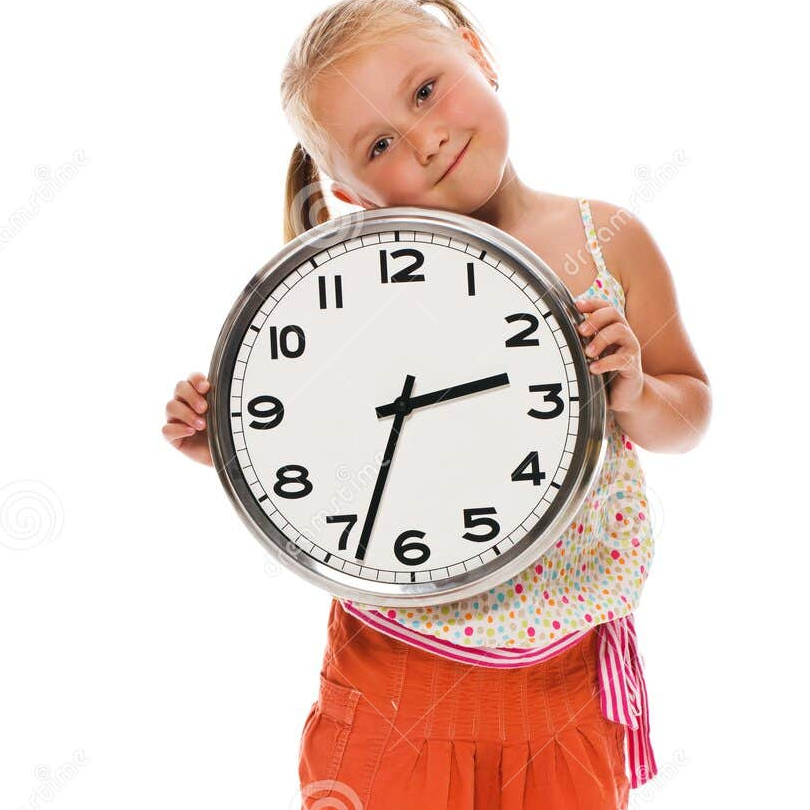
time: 2:33
